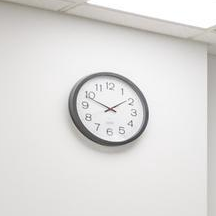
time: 1:48
